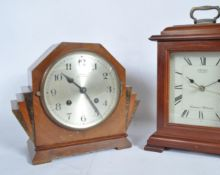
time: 10:24
